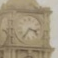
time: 3:35
